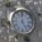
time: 4:59
